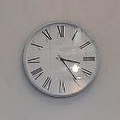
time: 3:24
